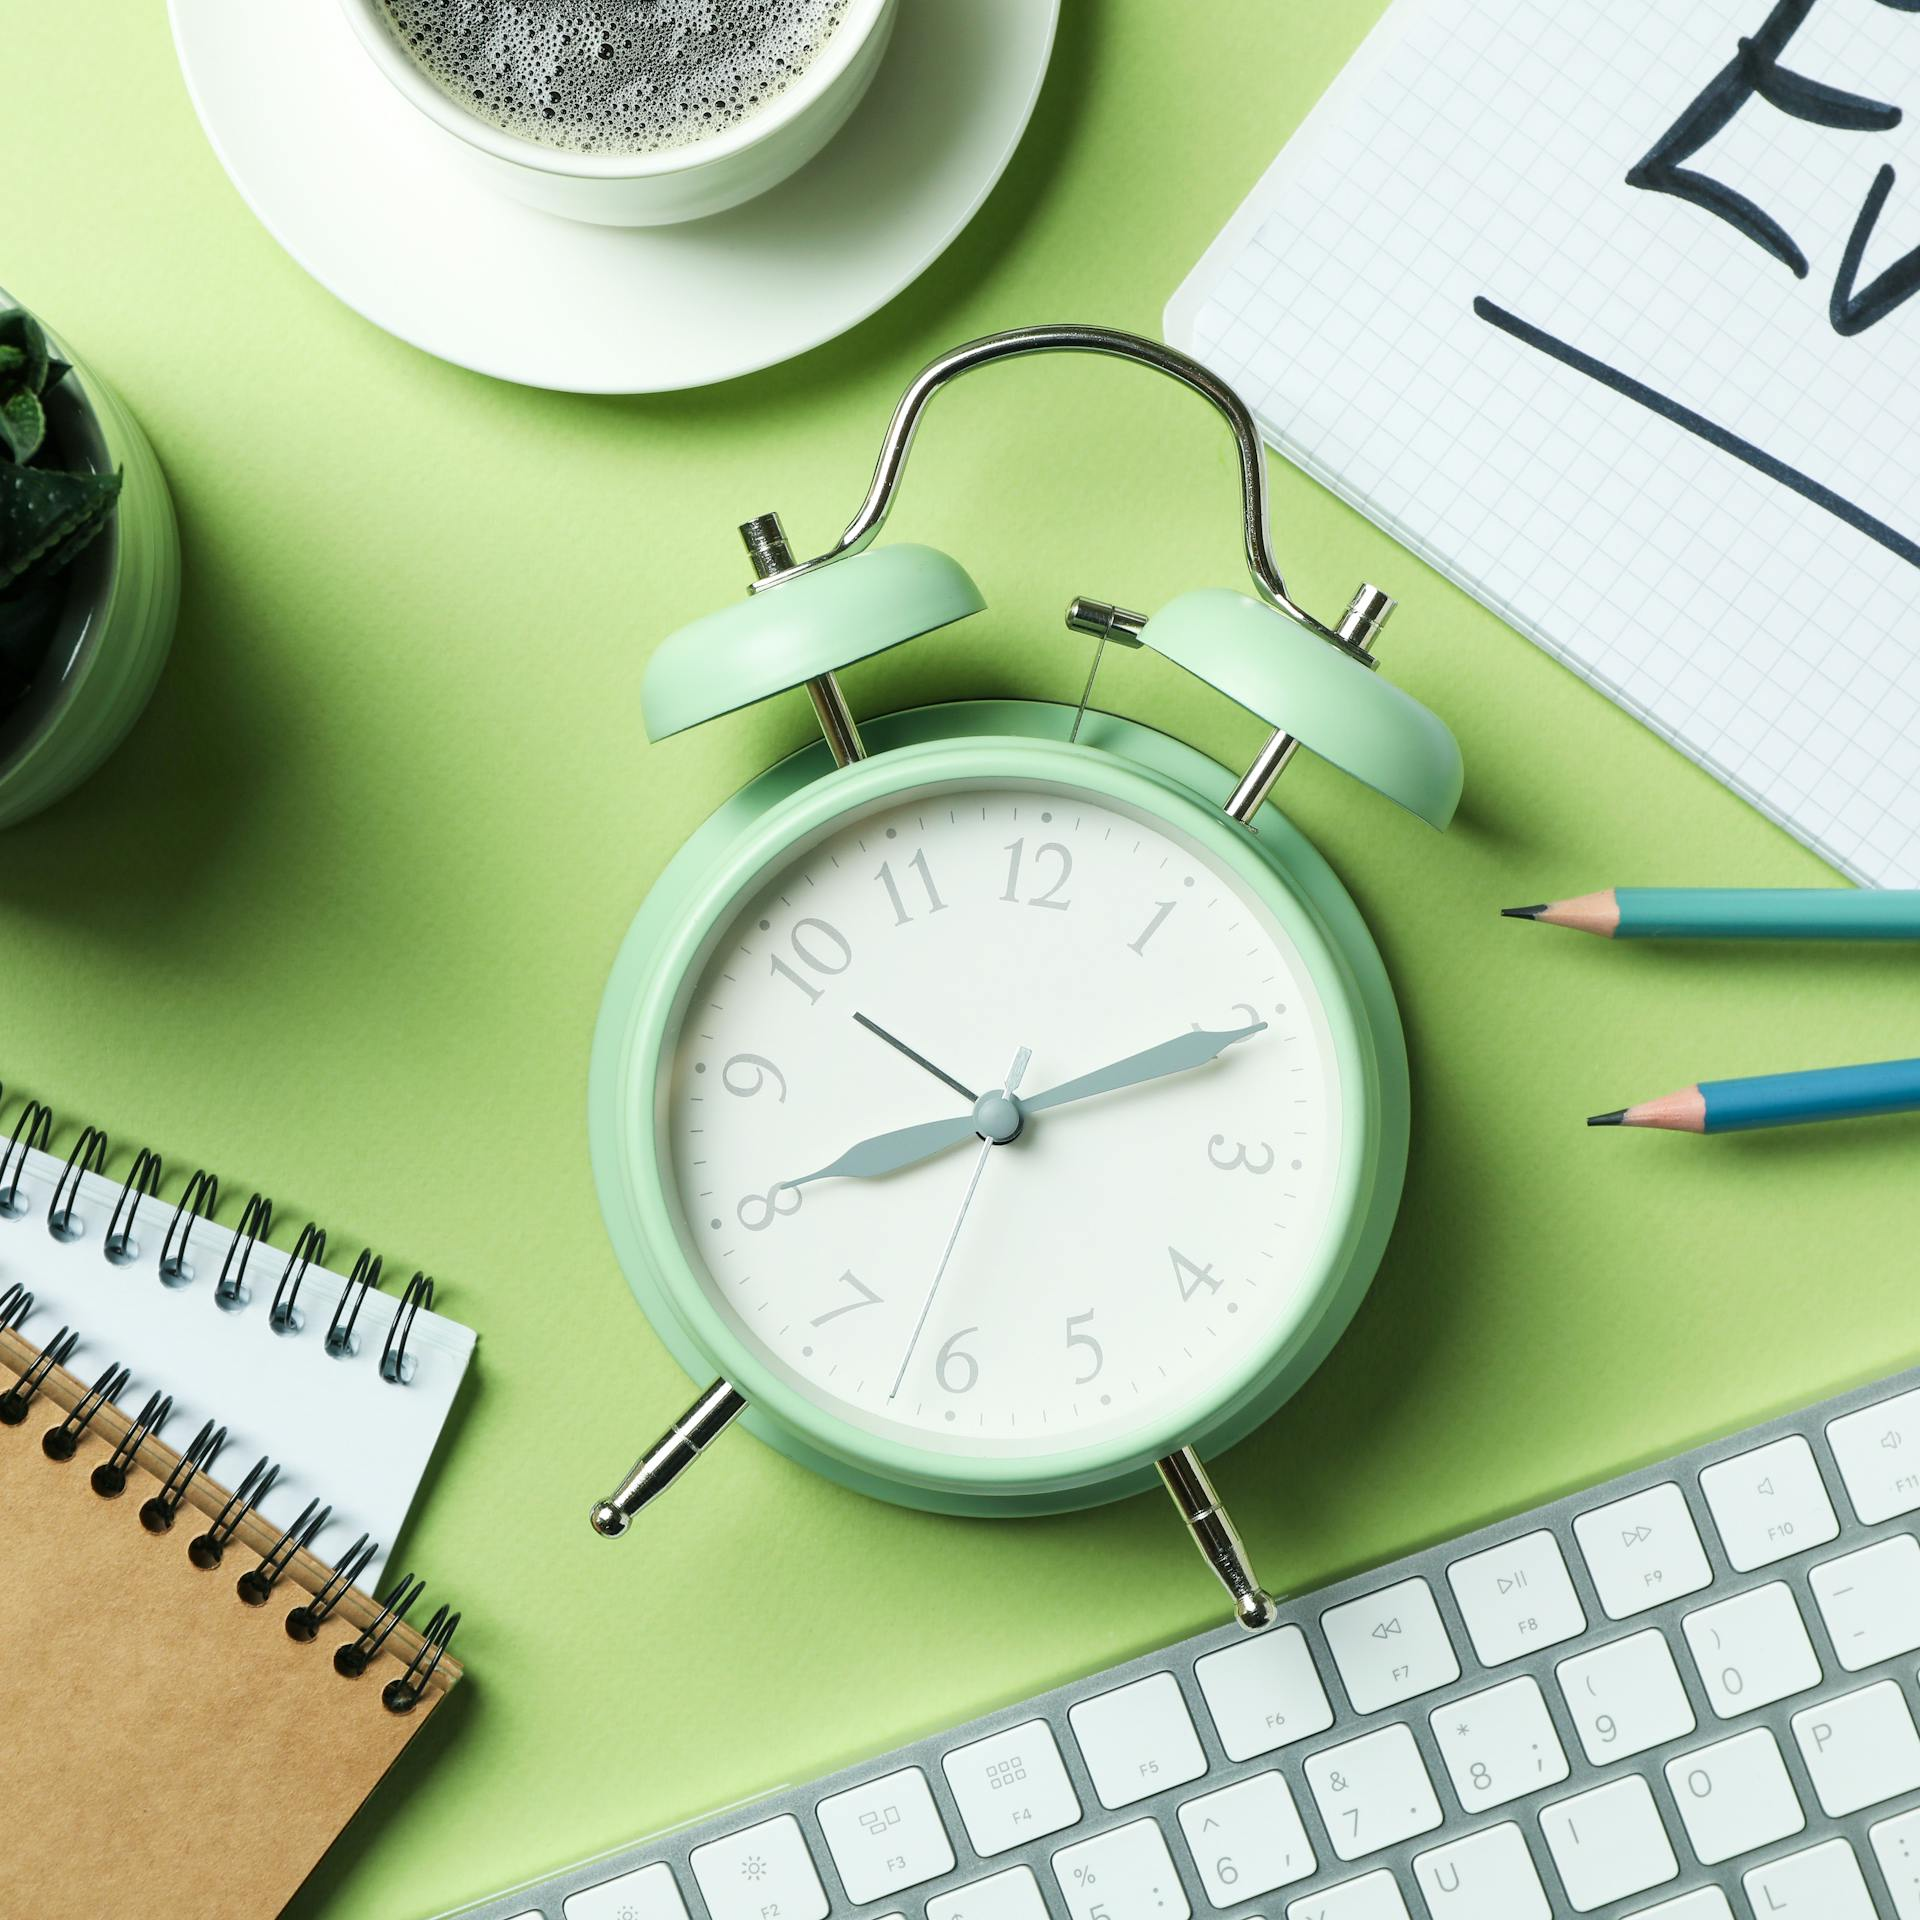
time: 8:10
